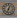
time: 12:33
